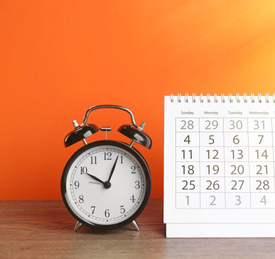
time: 10:03
